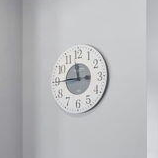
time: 11:44
